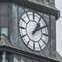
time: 1:09
